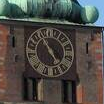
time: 4:54
